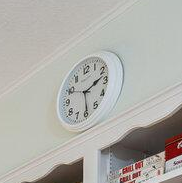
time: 2:29
